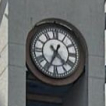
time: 4:34
